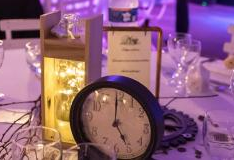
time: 5:00
